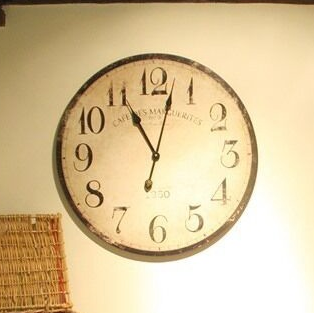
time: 11:02
